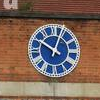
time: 10:03
